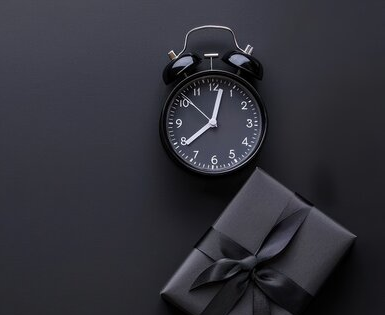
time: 12:38
